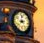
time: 8:38
